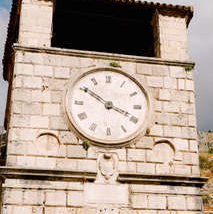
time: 3:50
